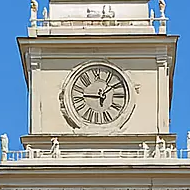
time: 1:46
